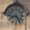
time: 8:24
